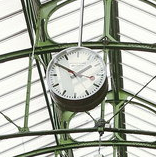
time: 1:50
